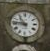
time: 10:46
